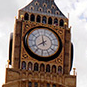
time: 7:57
